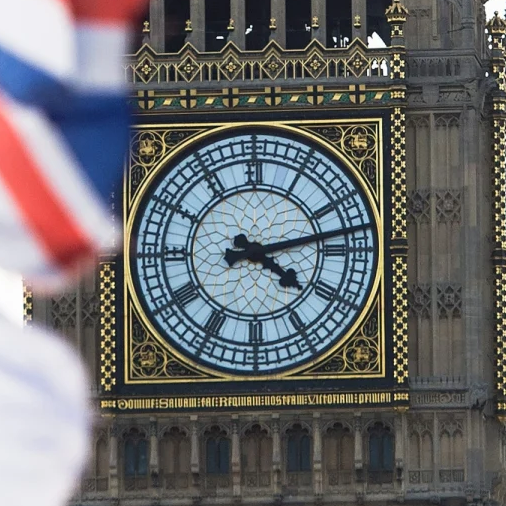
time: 4:12
